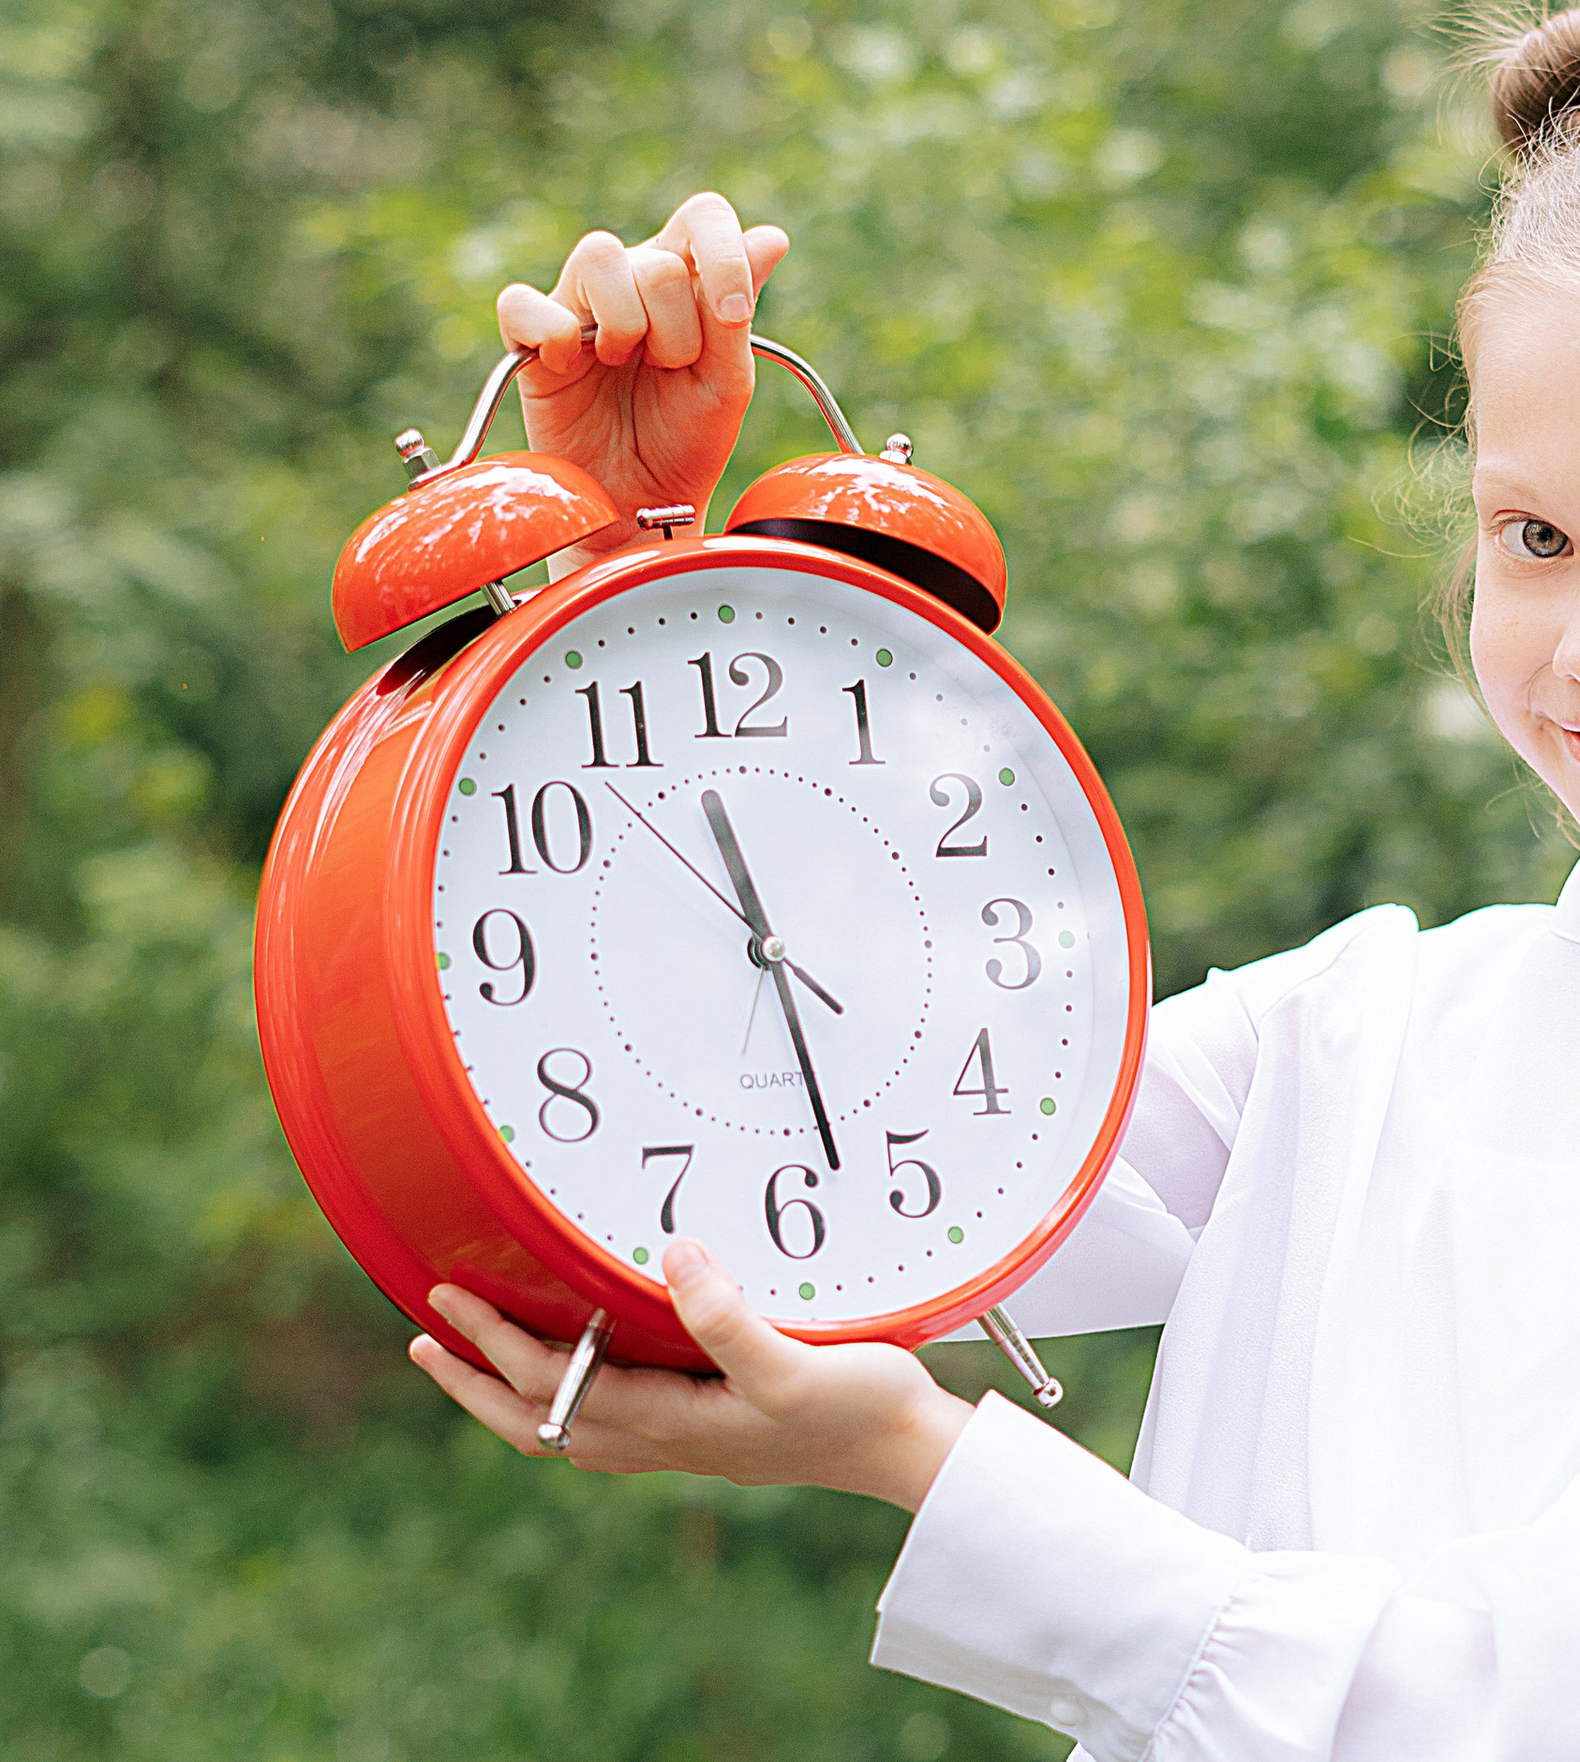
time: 11:28
